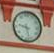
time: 9:28
